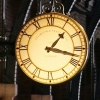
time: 1:17
